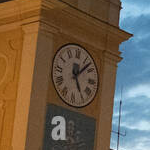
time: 5:07
